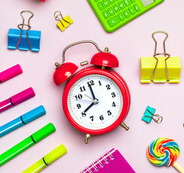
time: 7:59
